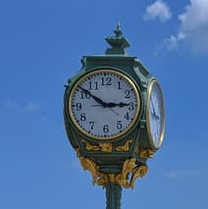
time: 2:51
